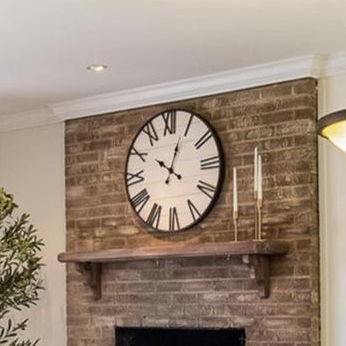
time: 10:03
